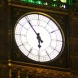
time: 5:53
